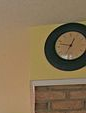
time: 12:47
